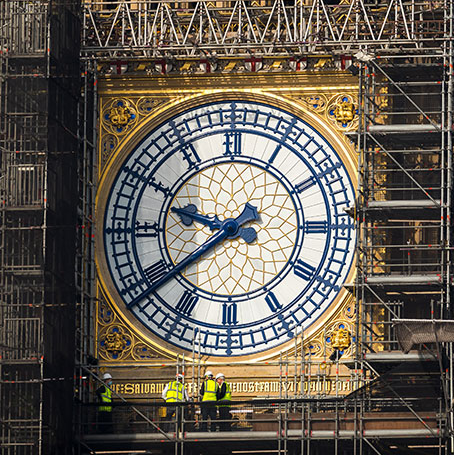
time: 9:38
